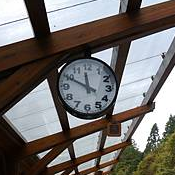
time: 11:49
